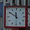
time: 11:50
